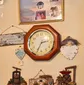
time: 2:34
